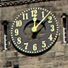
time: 12:07
